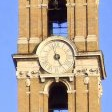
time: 4:57
